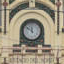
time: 11:51
